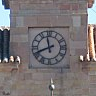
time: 11:41
